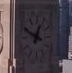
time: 12:49
